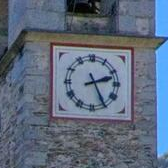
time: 2:25
